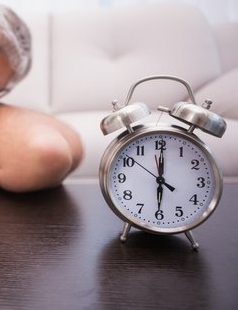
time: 6:00
